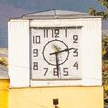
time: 2:29
